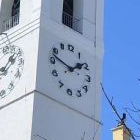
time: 1:47
